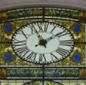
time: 11:08
